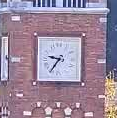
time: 9:36
